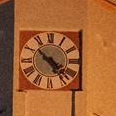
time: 4:22
